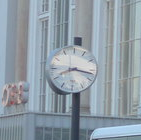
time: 8:16
